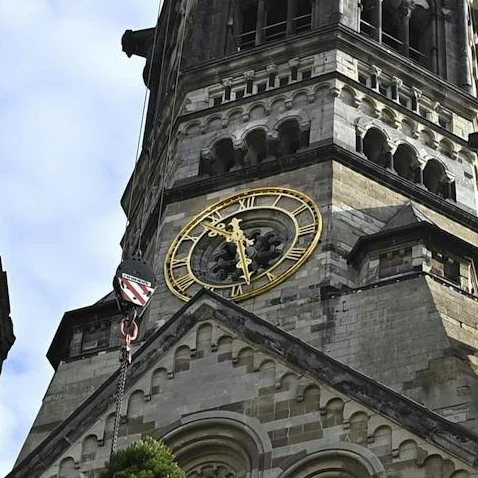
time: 11:28
